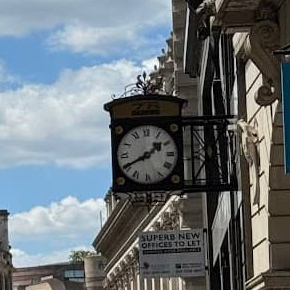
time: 1:40
